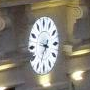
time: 3:33
